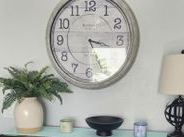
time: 3:26
